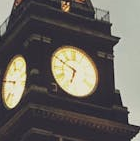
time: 6:49
